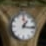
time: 1:16
